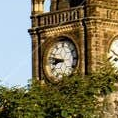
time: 8:47
